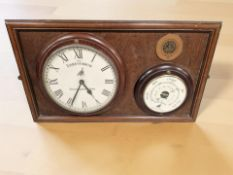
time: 4:34
